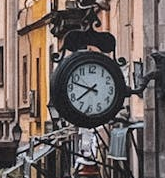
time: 7:47
